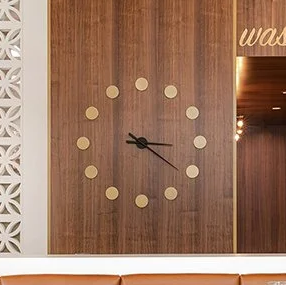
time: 3:21
